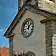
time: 12:07
